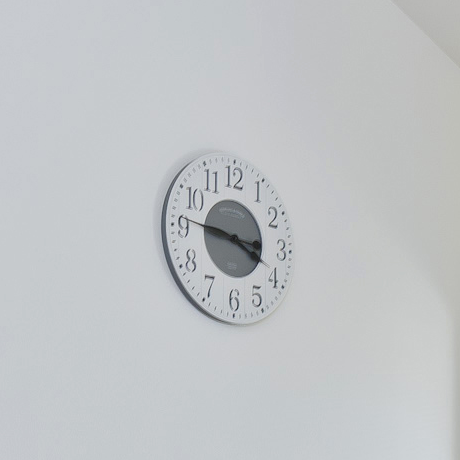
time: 3:46
